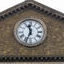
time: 11:33
